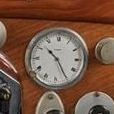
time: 10:24
